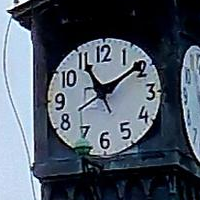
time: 11:09
